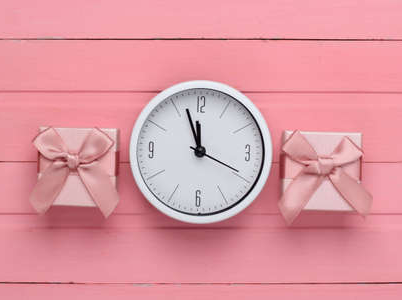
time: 11:56
